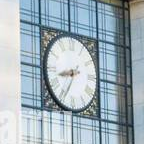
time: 8:34
